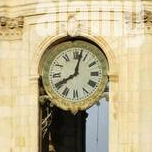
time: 8:02
